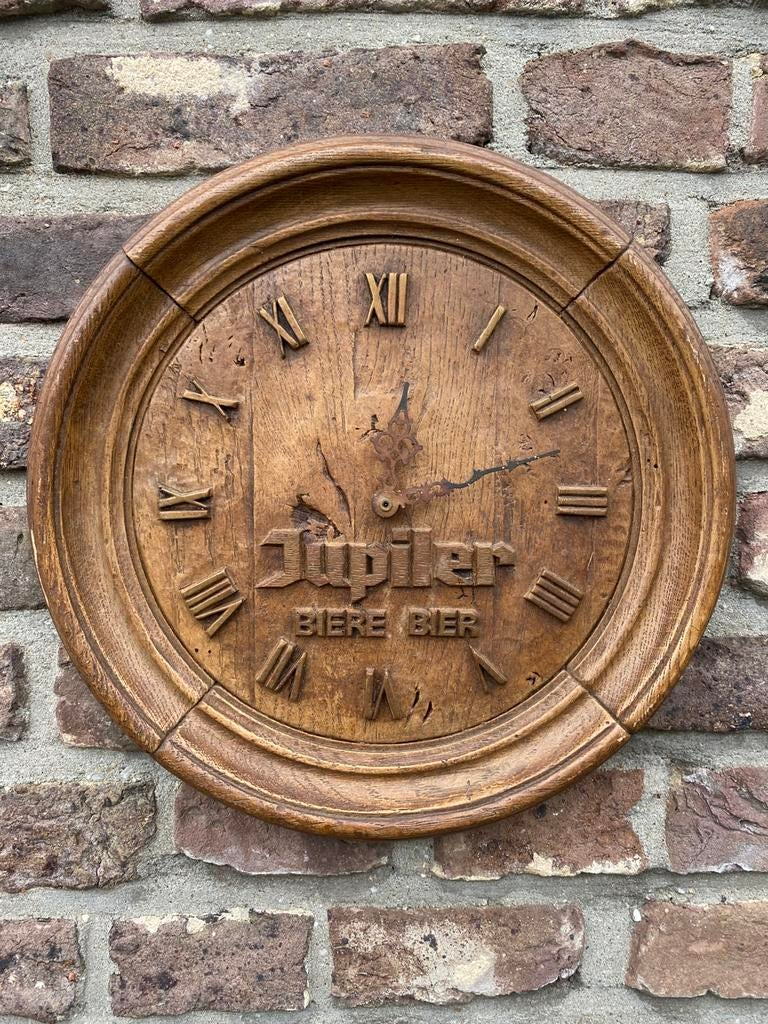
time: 12:11
